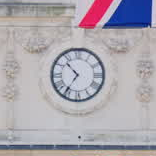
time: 10:35
